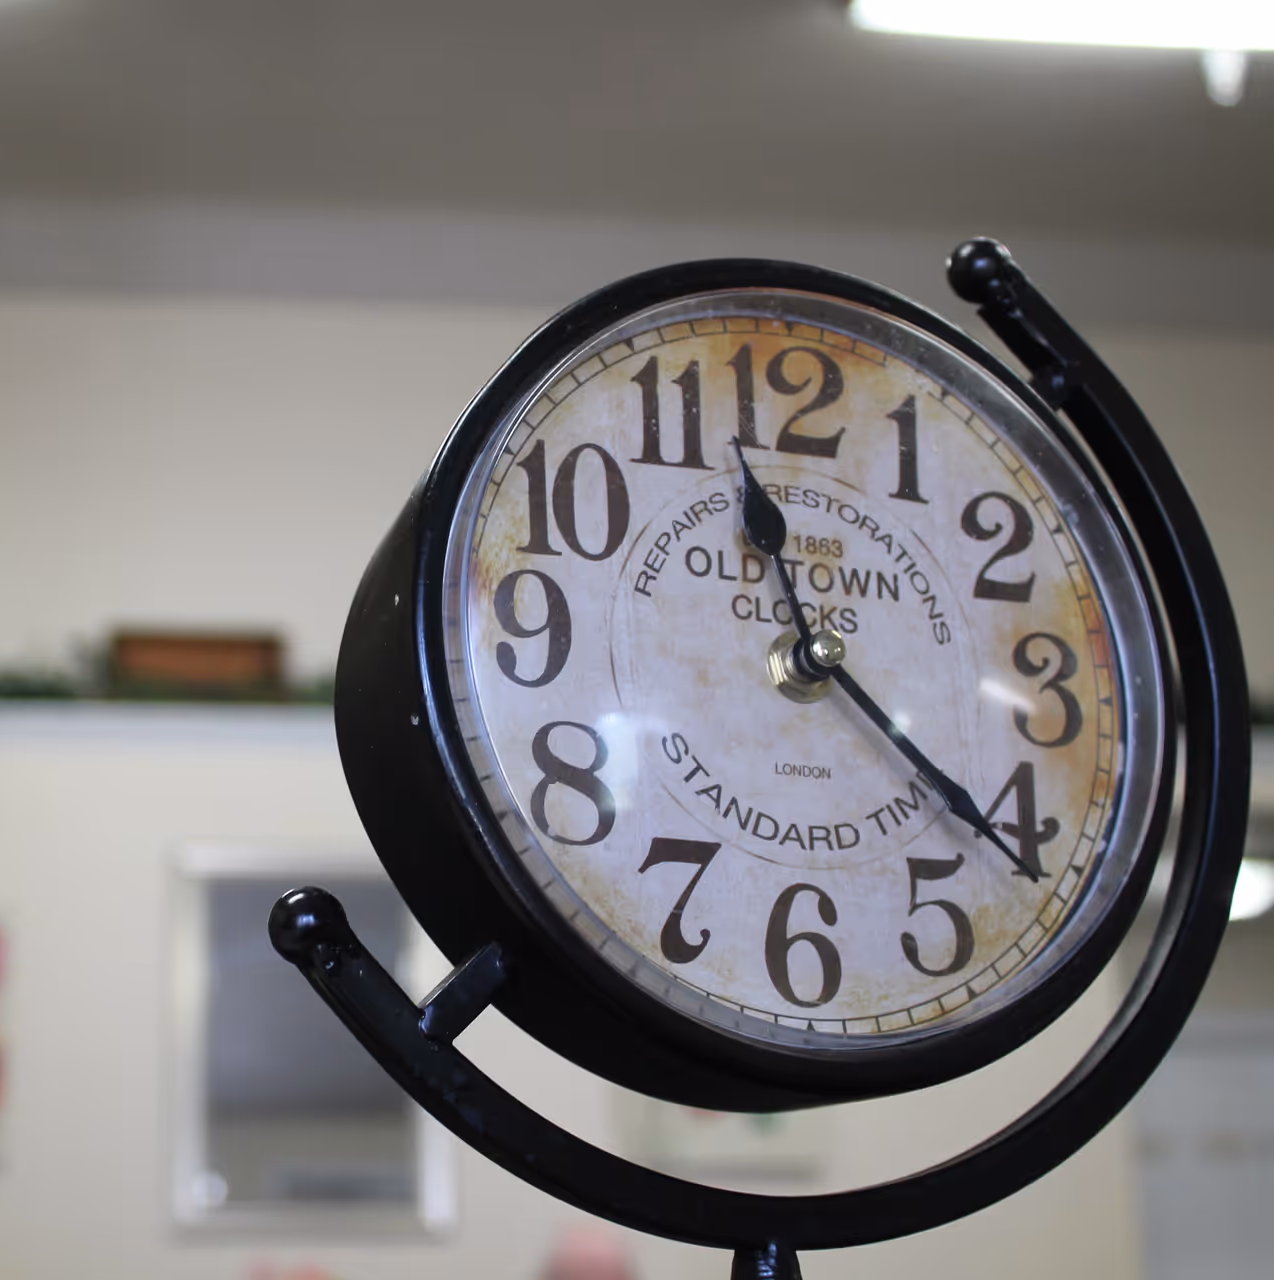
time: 11:21
